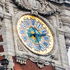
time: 2:27
